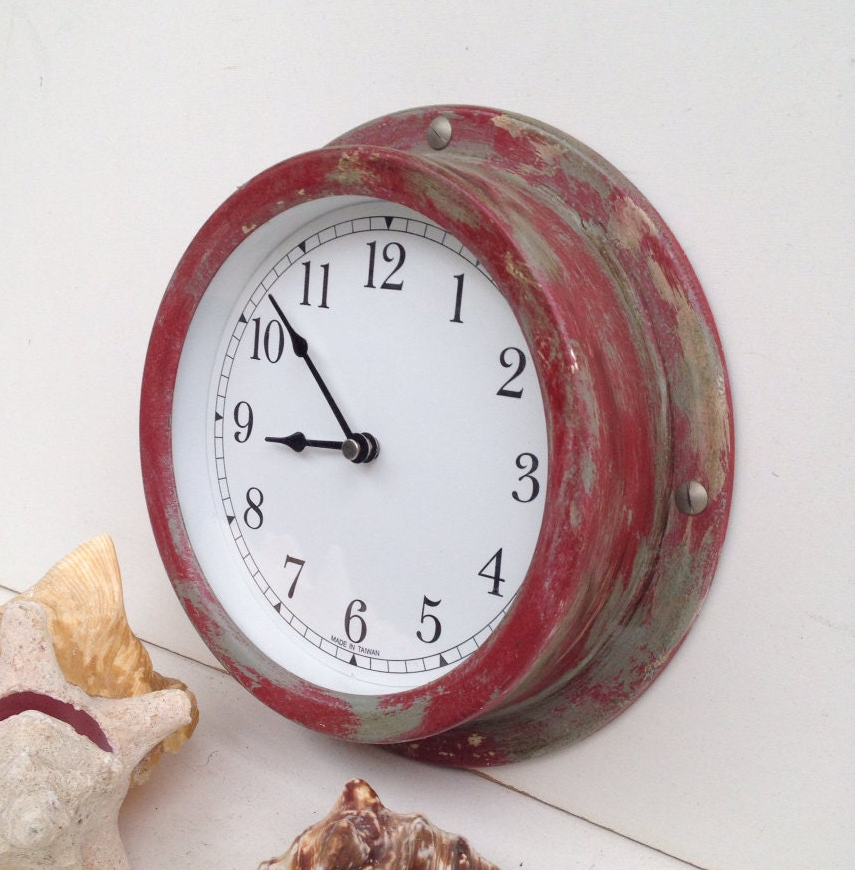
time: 8:52
